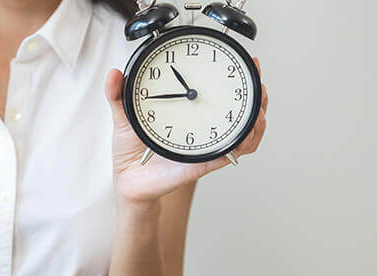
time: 10:44
